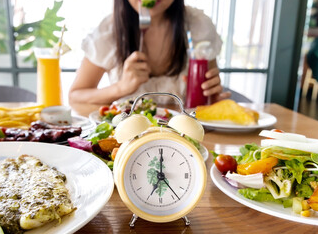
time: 7:00
